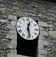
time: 12:28
